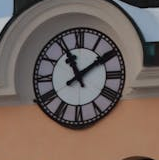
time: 11:09
